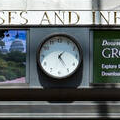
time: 1:24
